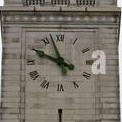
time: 9:57
